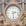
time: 2:29
